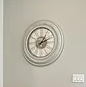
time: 1:11
